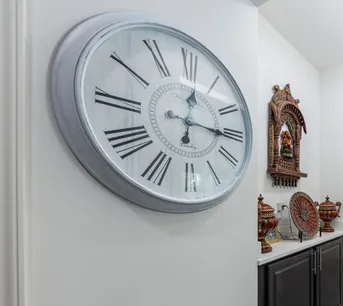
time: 12:15
